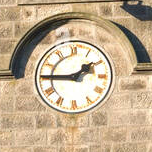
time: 1:45
